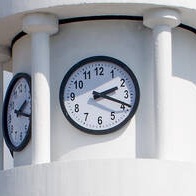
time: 2:18
